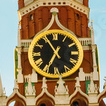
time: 6:55
